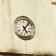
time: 5:06
